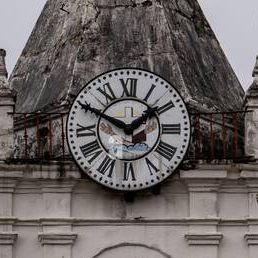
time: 1:49
